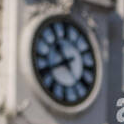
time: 10:40
